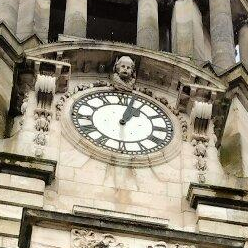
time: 1:02
